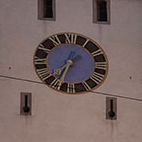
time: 7:34
